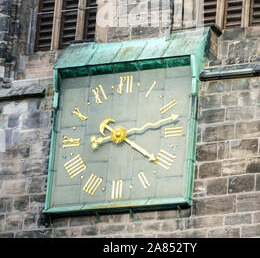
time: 4:12
